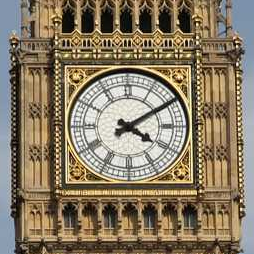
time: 4:09
